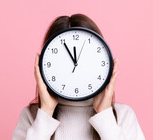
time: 11:55
